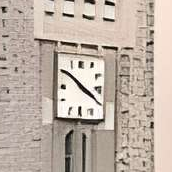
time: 3:50
